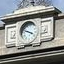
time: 3:48
